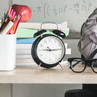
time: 9:14
